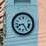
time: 8:24
